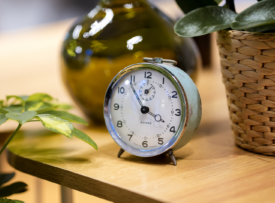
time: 3:53
